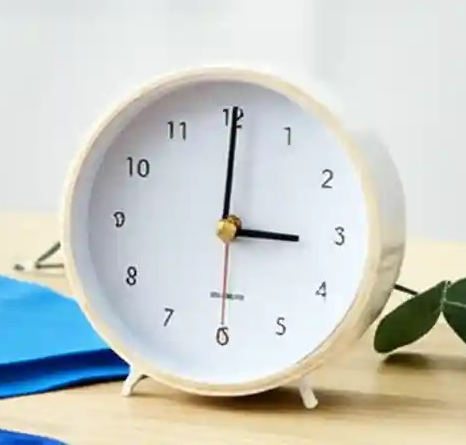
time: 3:00
